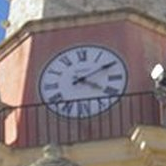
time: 4:09
